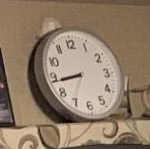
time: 8:43
